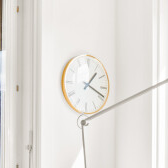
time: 1:18
